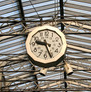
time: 9:26
